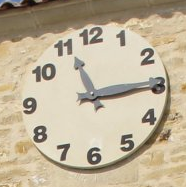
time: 11:14
